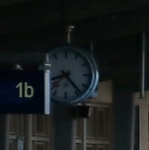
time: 8:23
